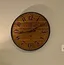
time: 1:43
